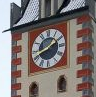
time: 1:41
